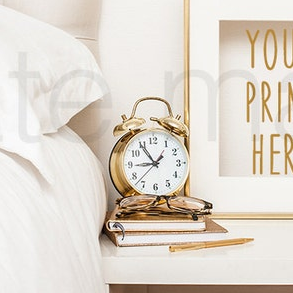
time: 8:54
